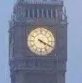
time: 4:19
